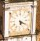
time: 5:18
